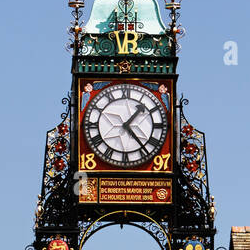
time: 1:23
